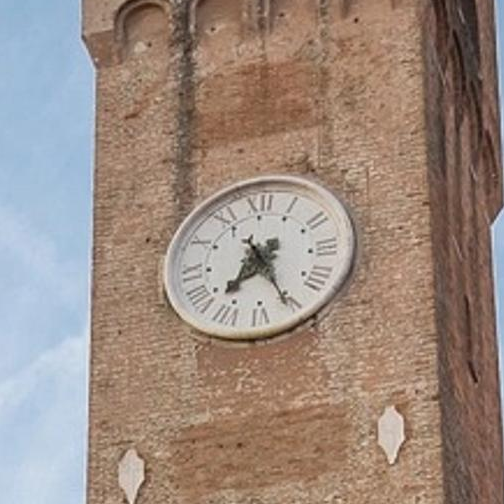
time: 7:25
